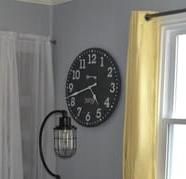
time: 4:42
